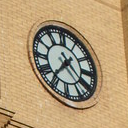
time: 1:36
